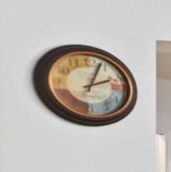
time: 2:03
